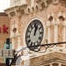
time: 1:02
